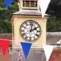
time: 2:02
